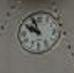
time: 9:56
